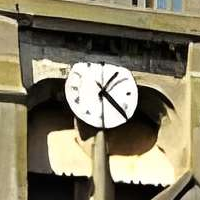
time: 1:22
